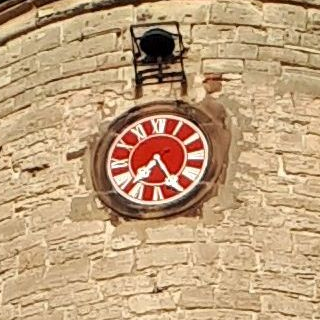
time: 7:24
